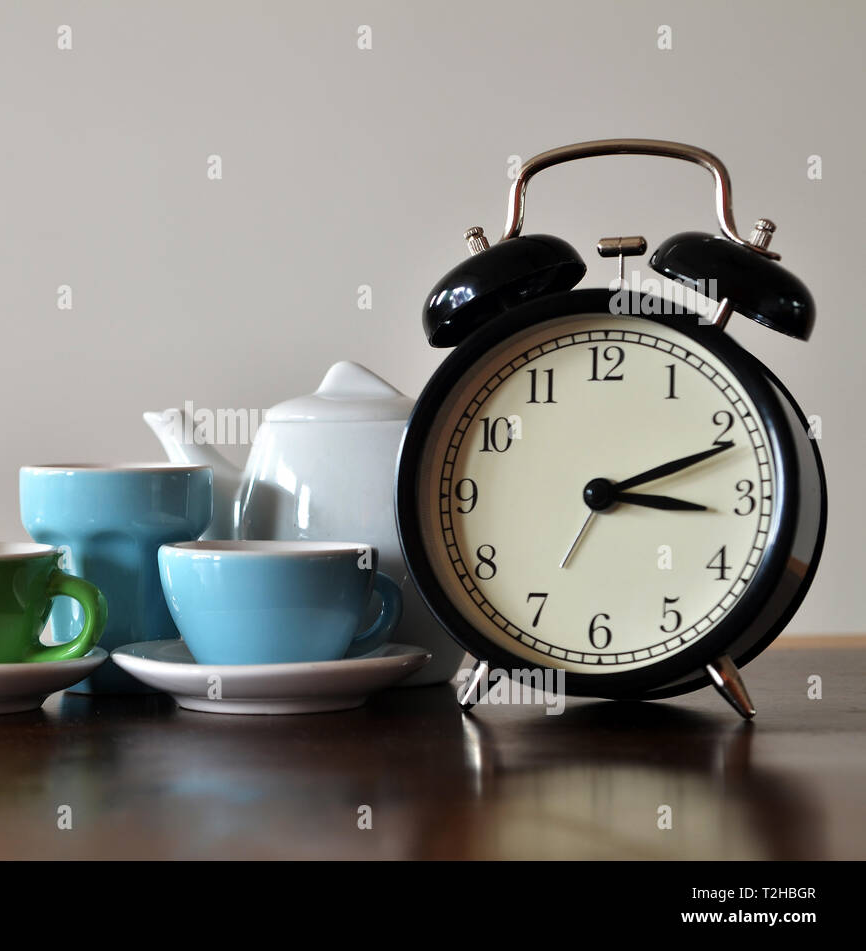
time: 3:11
